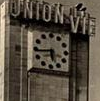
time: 5:44
